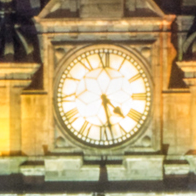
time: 4:27
